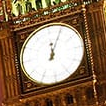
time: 12:04
